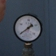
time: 1:38
